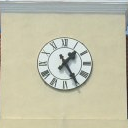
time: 1:24
